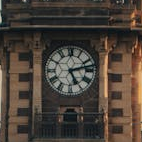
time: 5:12
